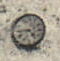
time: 4:44
